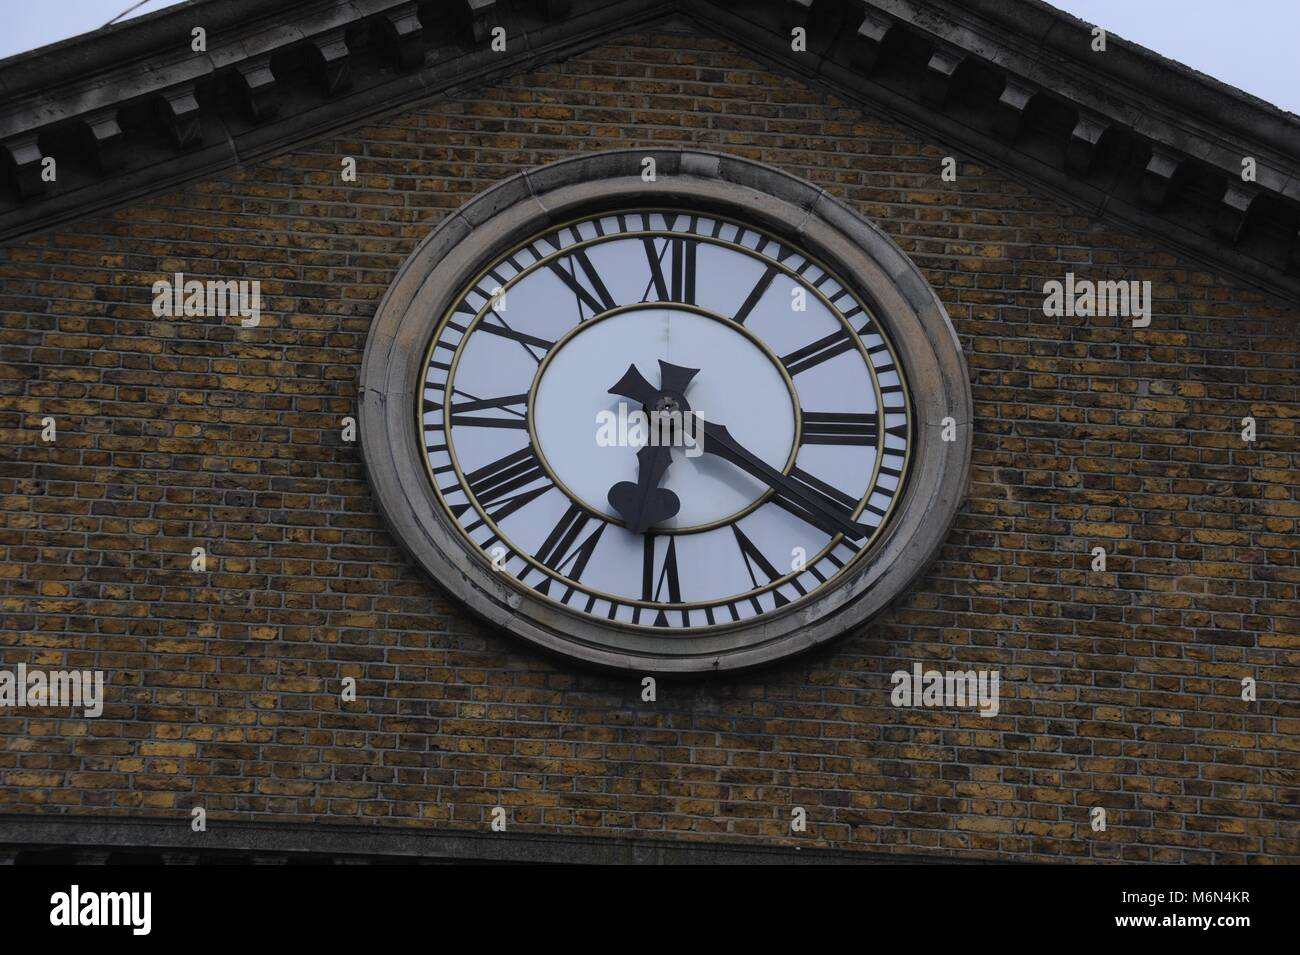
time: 6:20
